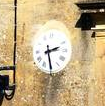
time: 2:29
